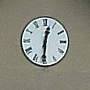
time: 12:30
